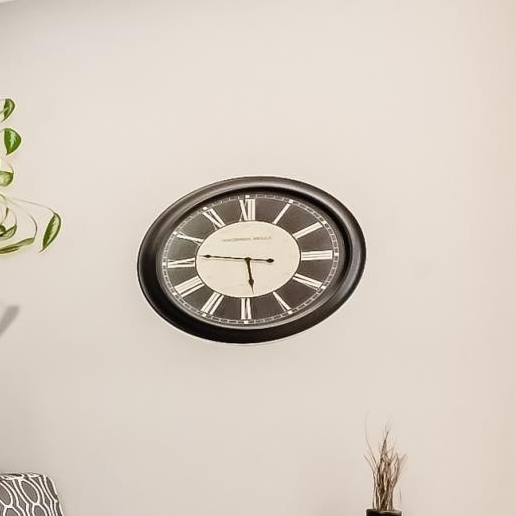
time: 5:46
